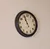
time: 10:56
